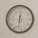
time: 12:32
